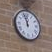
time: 11:56
